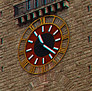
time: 11:21
